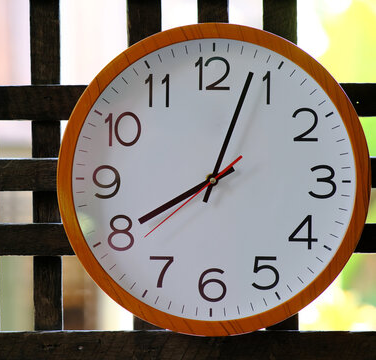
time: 8:03
